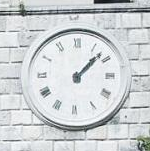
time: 1:07
